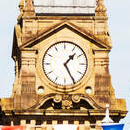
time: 1:25
